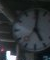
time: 5:01
